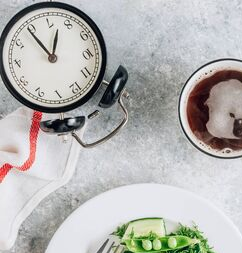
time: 12:54
